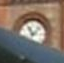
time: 11:07
